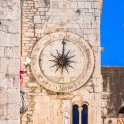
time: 9:01
